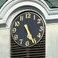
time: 11:25
